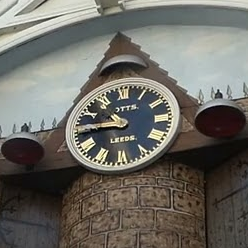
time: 10:45
